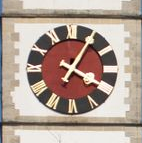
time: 4:04
